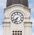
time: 7:33
